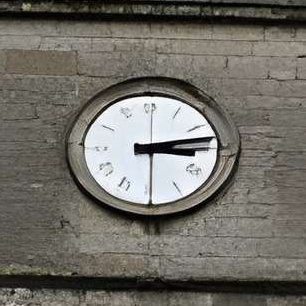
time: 3:13
